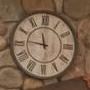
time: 11:46
